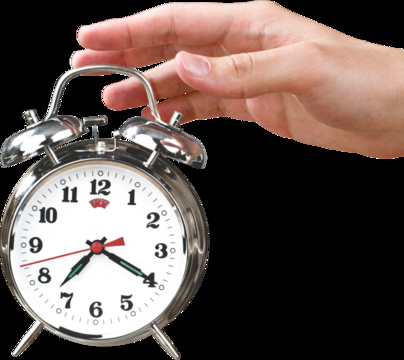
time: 7:19
